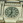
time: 6:58
